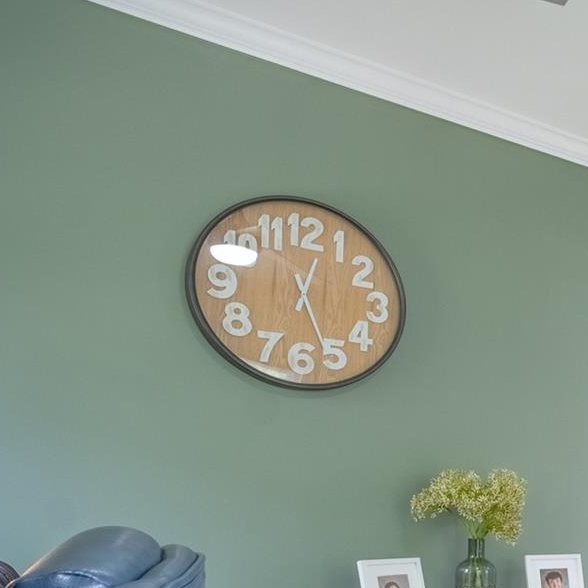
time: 12:26
